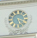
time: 5:18
